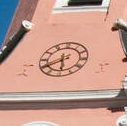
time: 5:40
